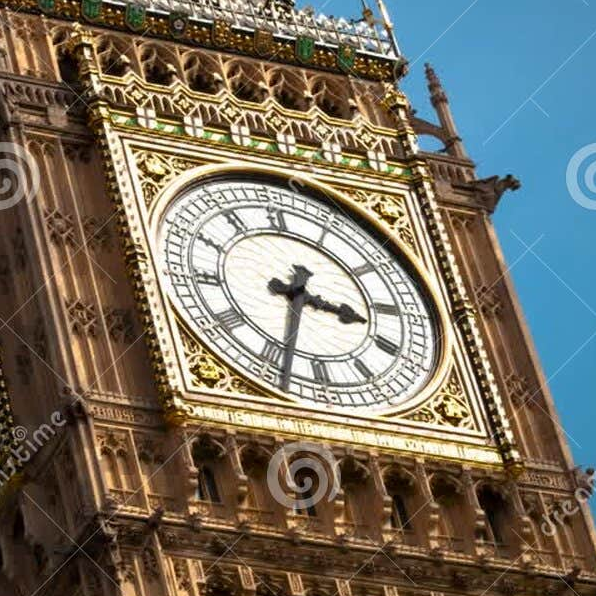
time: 3:33
